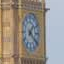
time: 1:20
